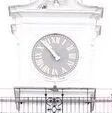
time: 10:52
